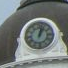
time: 1:02
